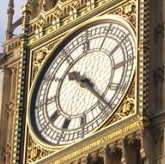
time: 10:23
